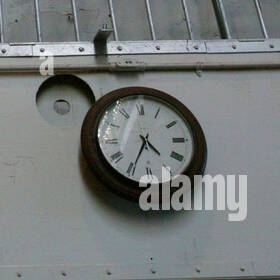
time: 4:34
